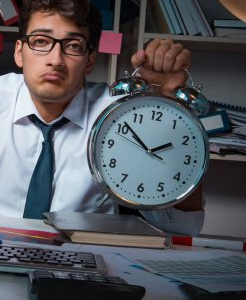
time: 1:51
